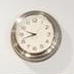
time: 9:42
